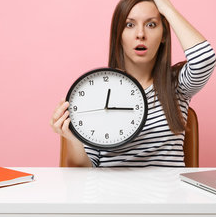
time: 12:15
